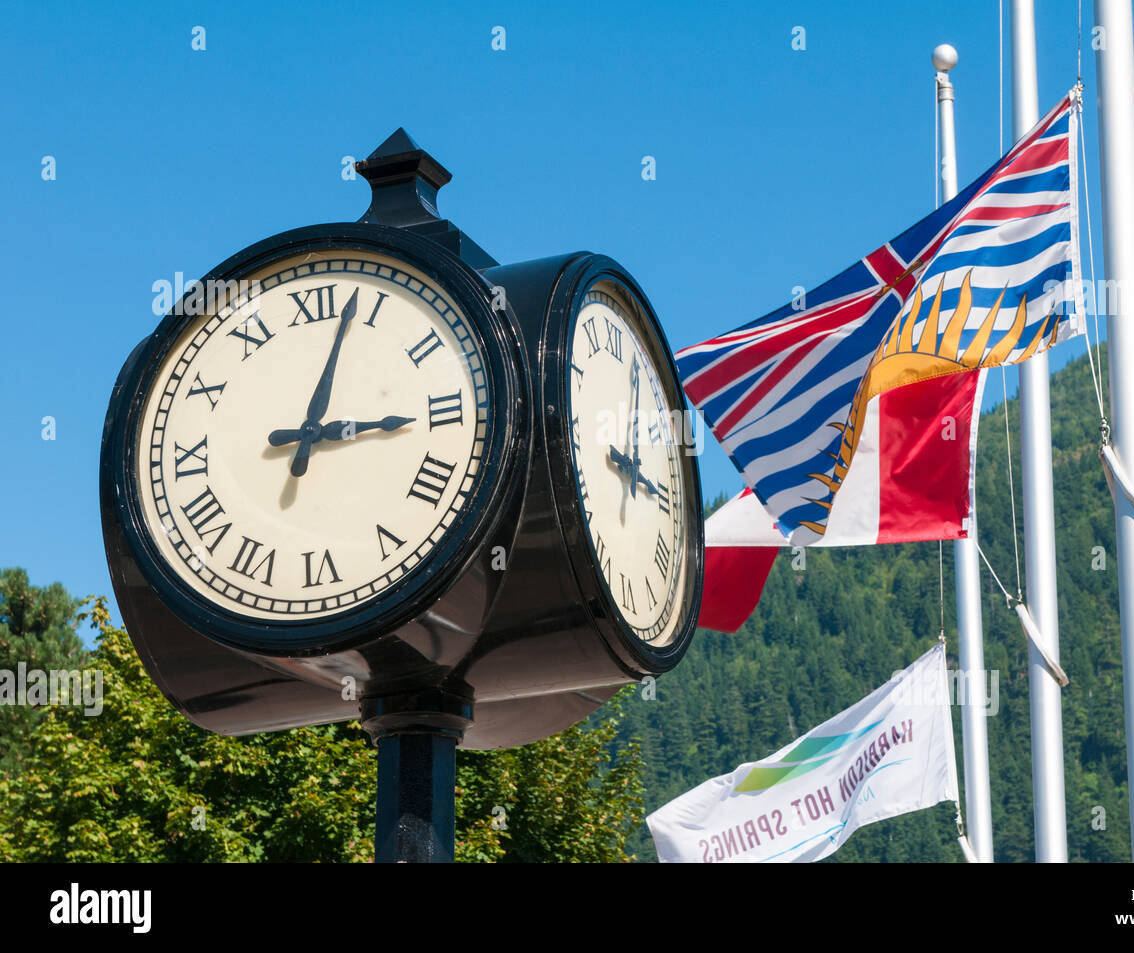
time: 3:02
